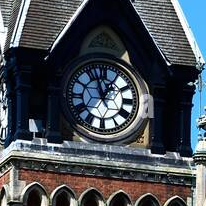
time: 12:57
